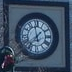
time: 11:37
